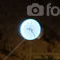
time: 9:24
